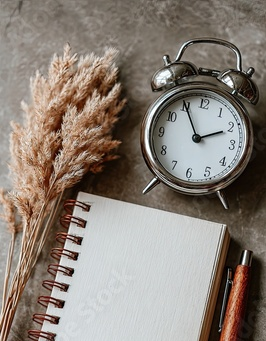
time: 1:55
